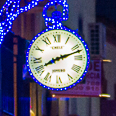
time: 8:12
